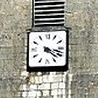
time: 4:17
